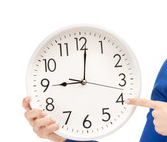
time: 9:01
